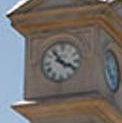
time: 3:53
